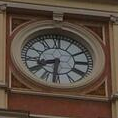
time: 8:31
